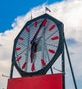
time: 6:05
